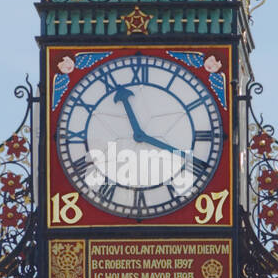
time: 11:18
